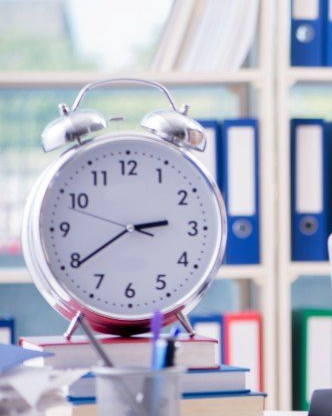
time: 2:39
